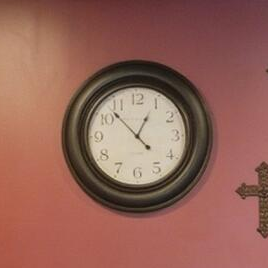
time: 12:52
